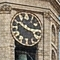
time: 2:48
